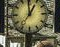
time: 12:59
